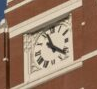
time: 11:21
